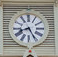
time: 8:25
